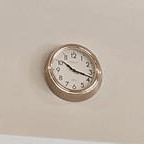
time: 10:17
